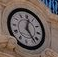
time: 12:23
